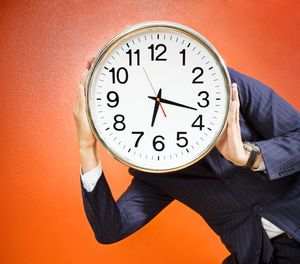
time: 6:17
